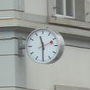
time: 11:29
